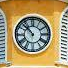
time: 10:52
